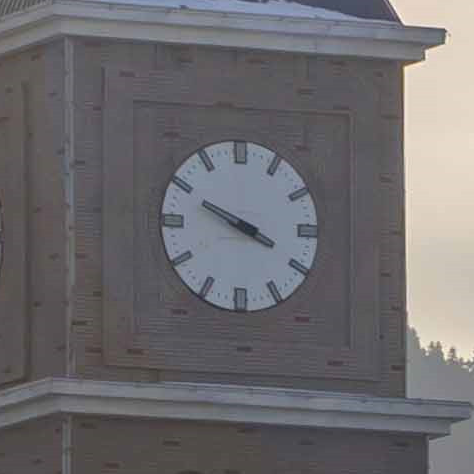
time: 3:49
